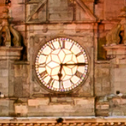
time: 6:14
